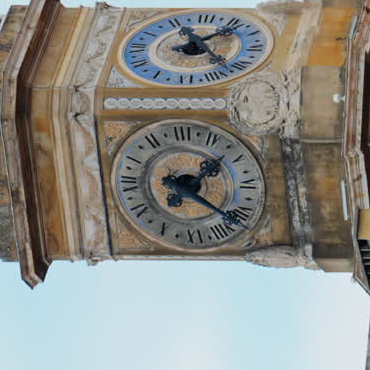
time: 1:21
